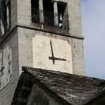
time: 2:58
